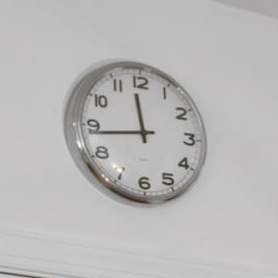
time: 11:43
